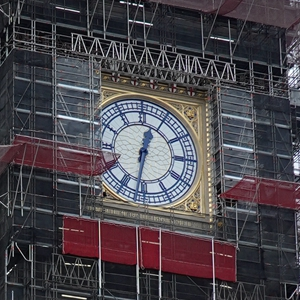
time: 12:31
